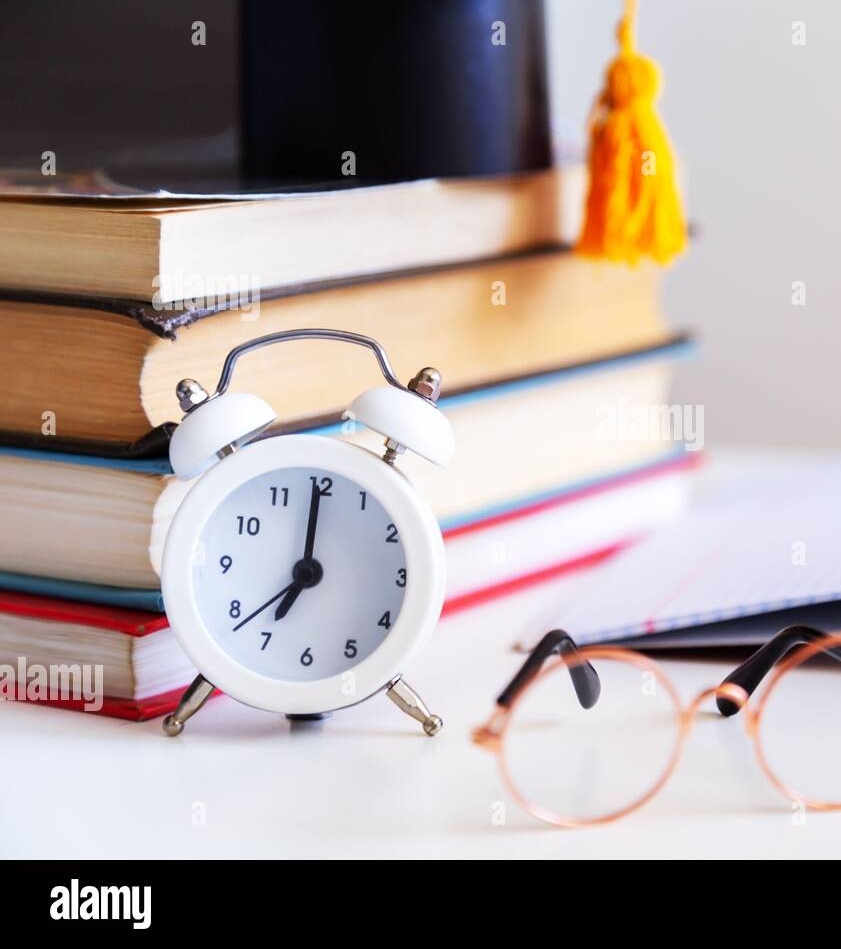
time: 7:00
